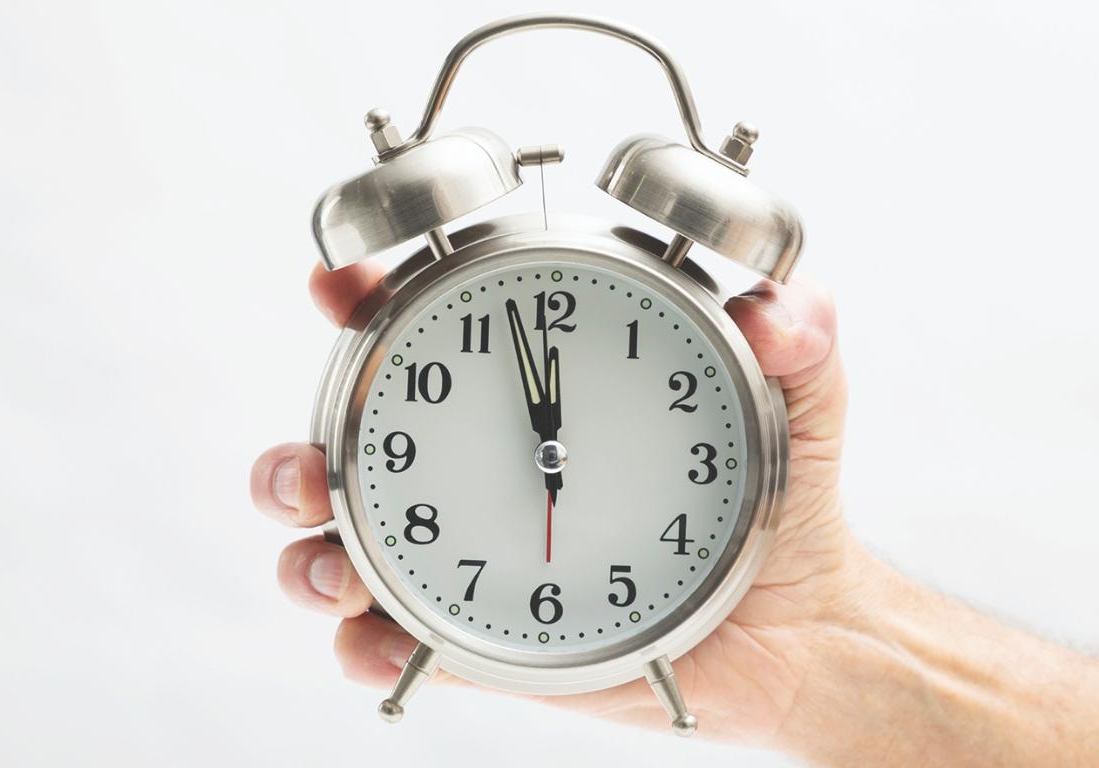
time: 11:57
